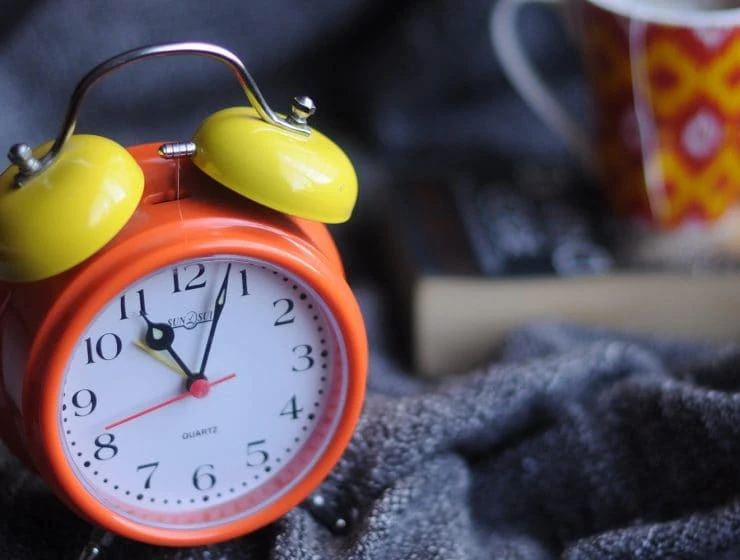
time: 11:03
